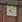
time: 5:17
